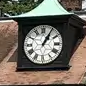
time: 1:05
